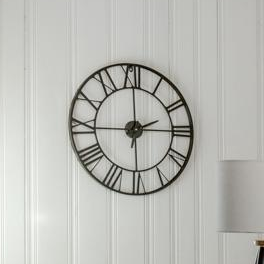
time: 2:00
